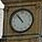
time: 10:53
